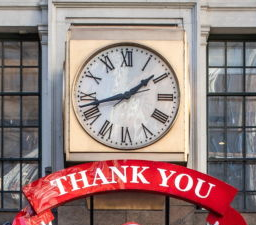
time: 1:42
